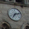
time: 7:12
